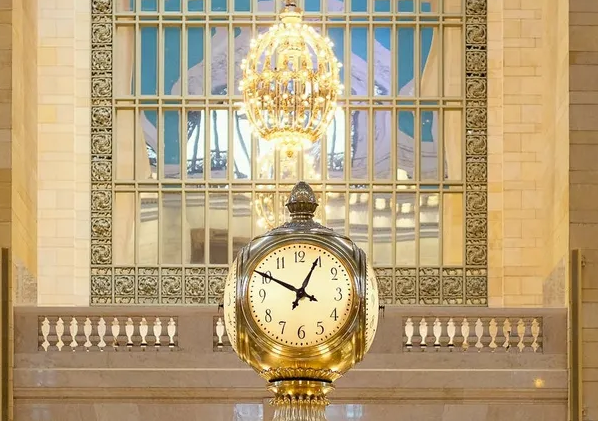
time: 12:49
